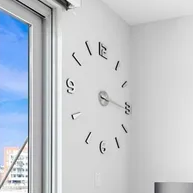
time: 3:16
